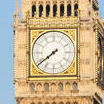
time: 7:38
